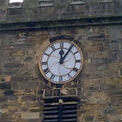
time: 12:06
